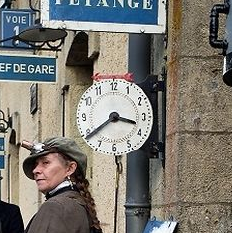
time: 3:39
